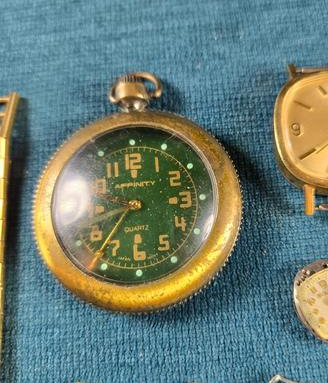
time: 11:36
